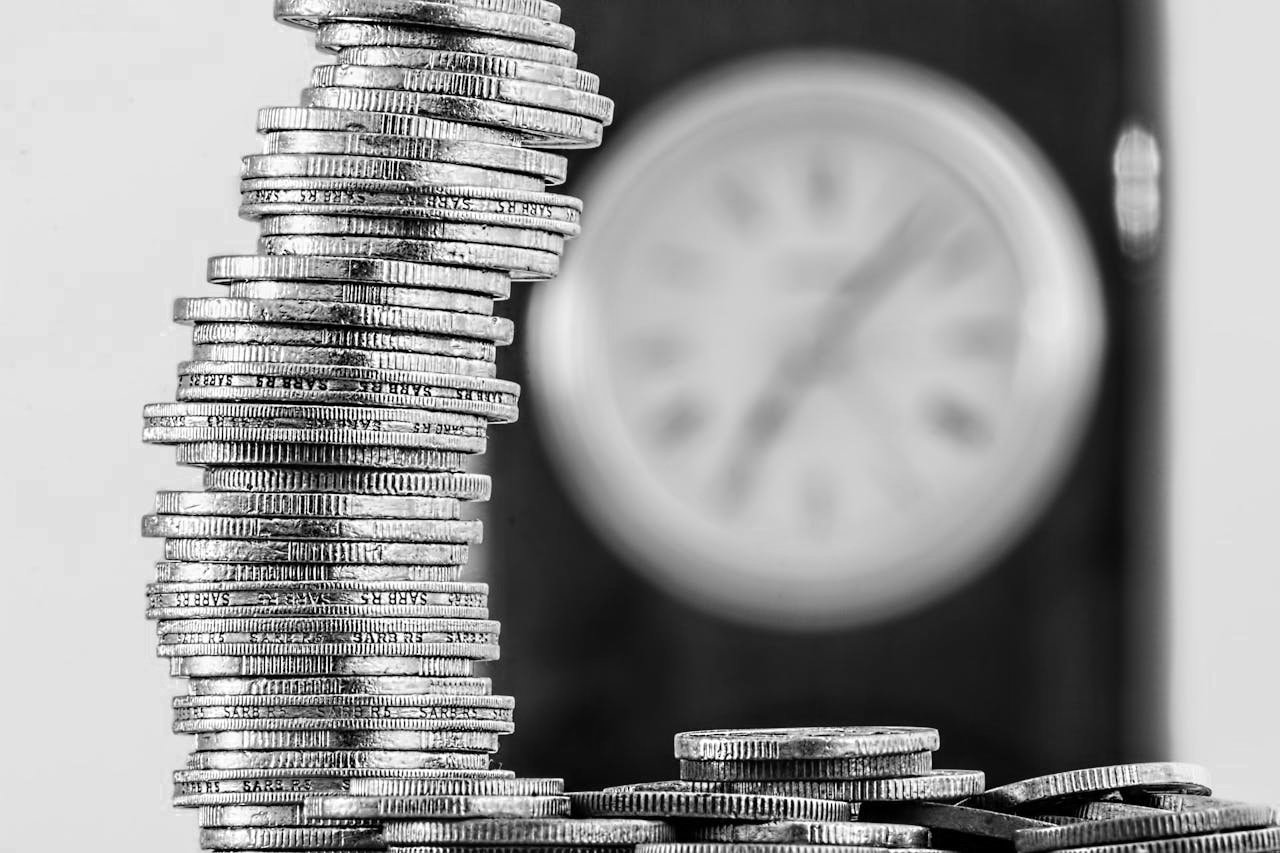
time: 7:07
